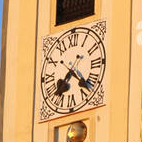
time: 7:22
